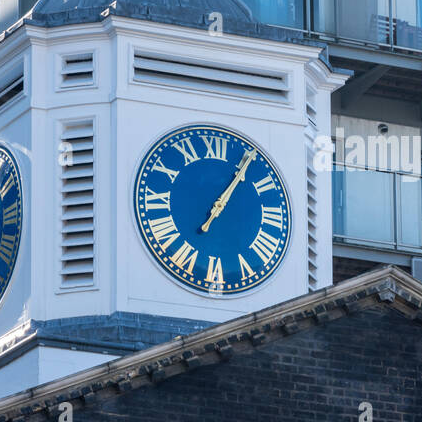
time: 1:05
